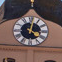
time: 4:02
